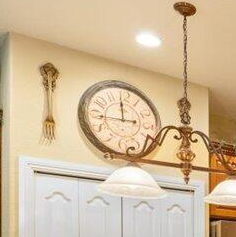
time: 11:44
